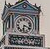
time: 6:18
